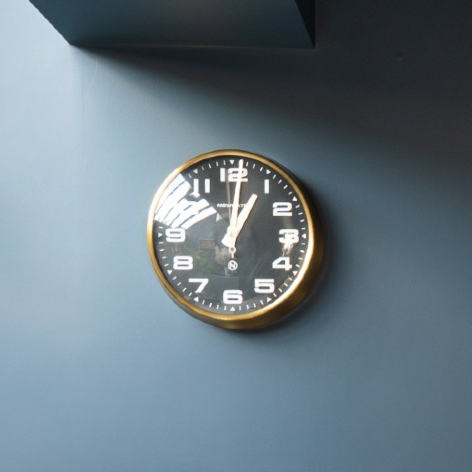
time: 1:00
